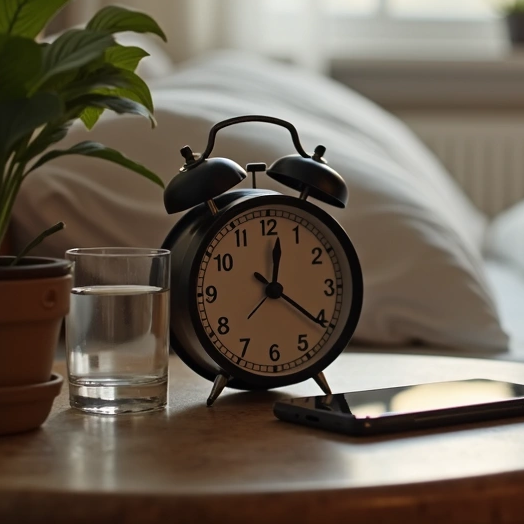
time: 12:20
